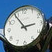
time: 2:54
